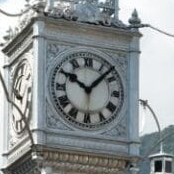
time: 10:07
